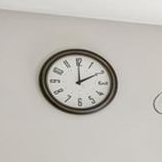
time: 1:59
